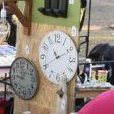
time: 10:40
